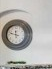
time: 11:47
